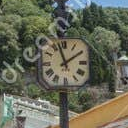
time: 1:57
